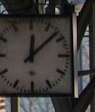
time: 12:07
